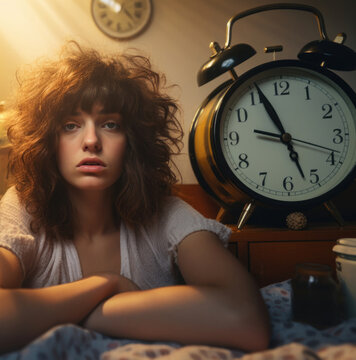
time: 8:56
